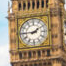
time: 1:44
